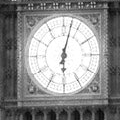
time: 6:02
